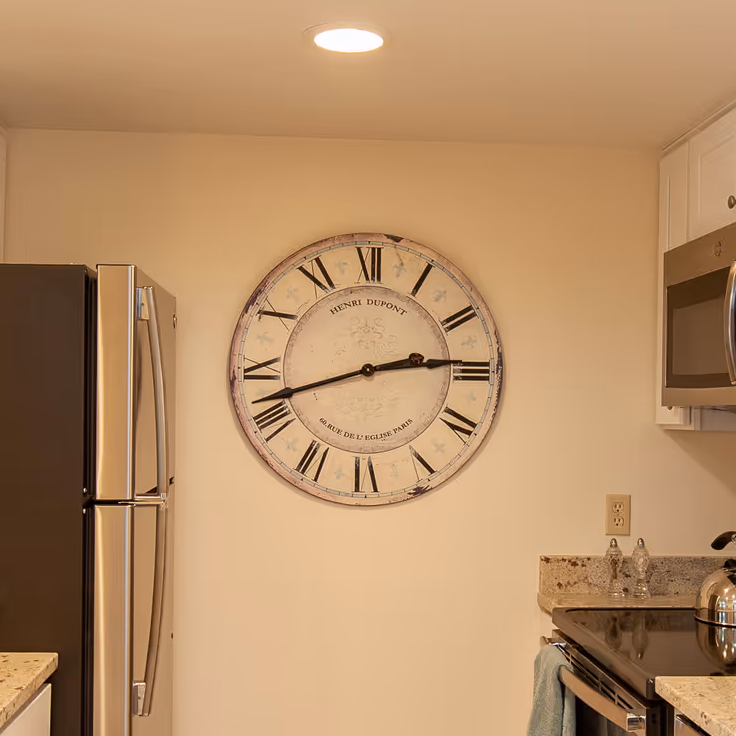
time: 2:42
